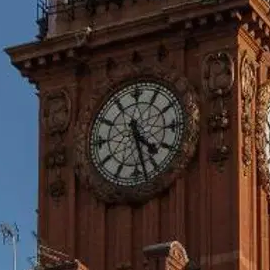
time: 4:27
